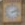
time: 2:12
